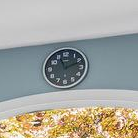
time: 11:11
